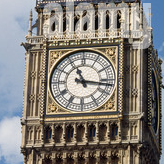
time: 11:16
